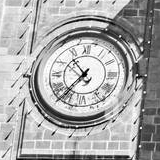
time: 10:36
